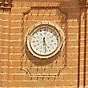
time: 5:29
